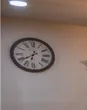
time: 6:39
